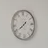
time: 7:39
